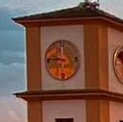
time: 9:45
